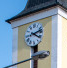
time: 4:12
